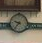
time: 9:36
